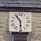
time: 5:54
